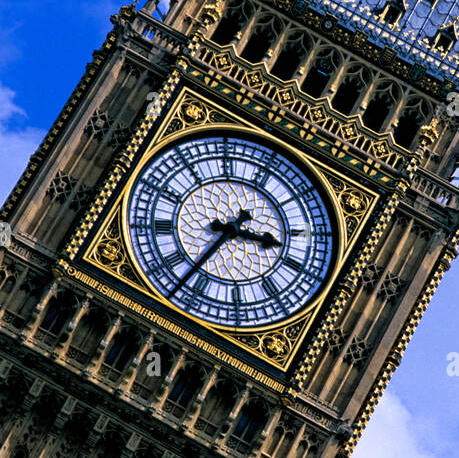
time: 3:36
